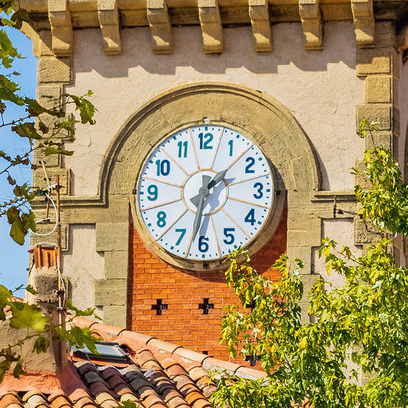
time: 1:32
